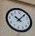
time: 10:06
